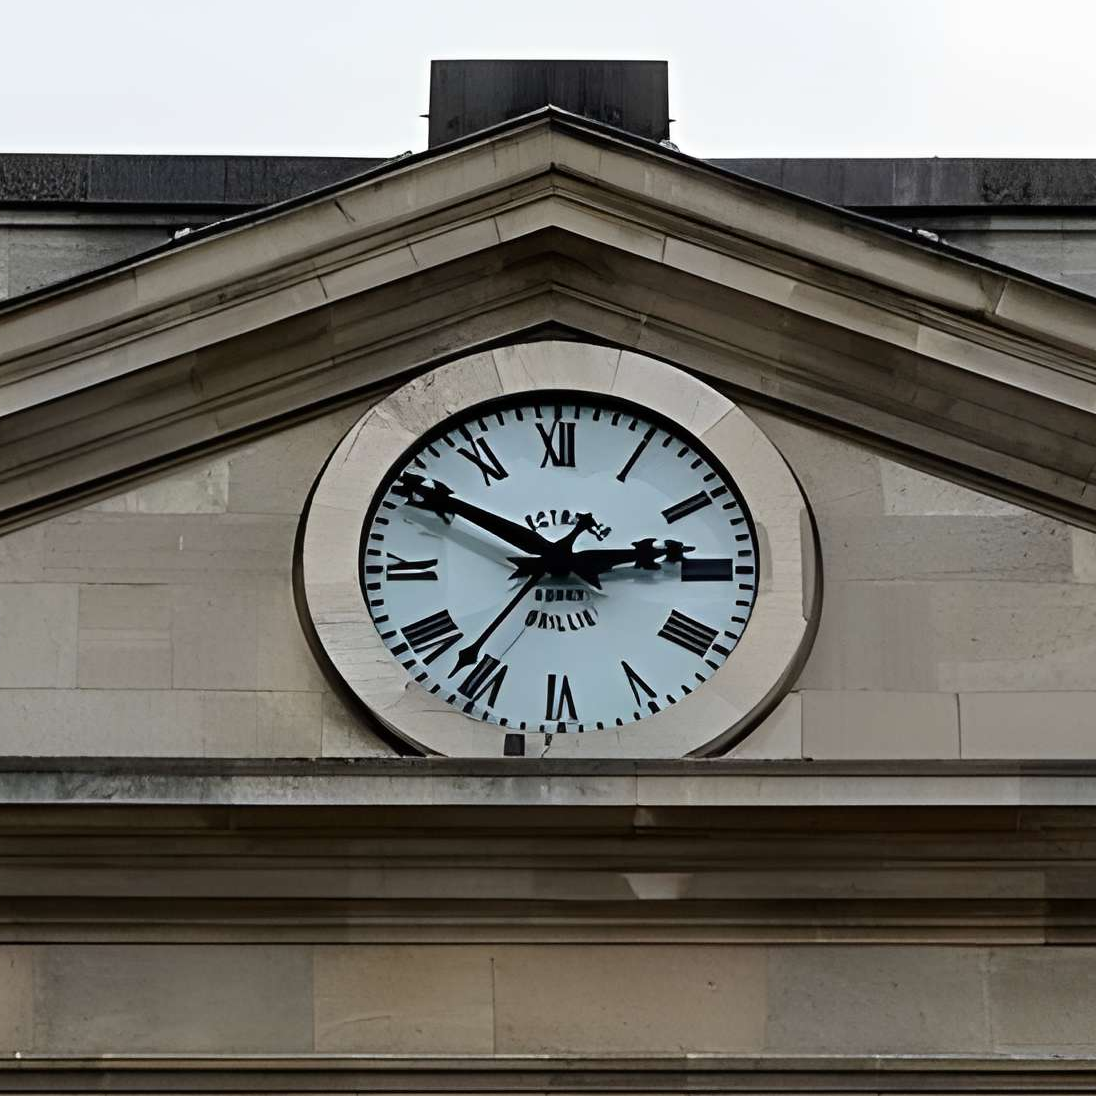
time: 2:50
